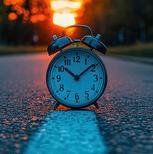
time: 10:08
